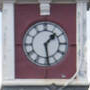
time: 1:28
